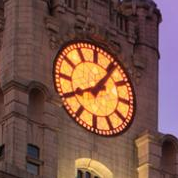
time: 8:06
